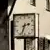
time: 2:33
